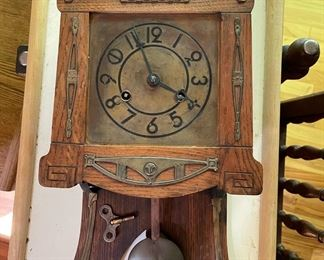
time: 3:56
